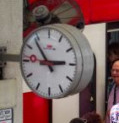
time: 2:53
